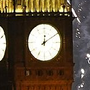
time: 12:09
